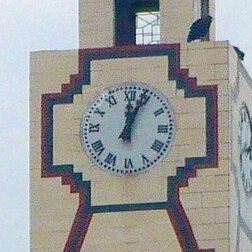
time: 12:03
